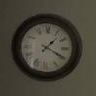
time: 1:19
